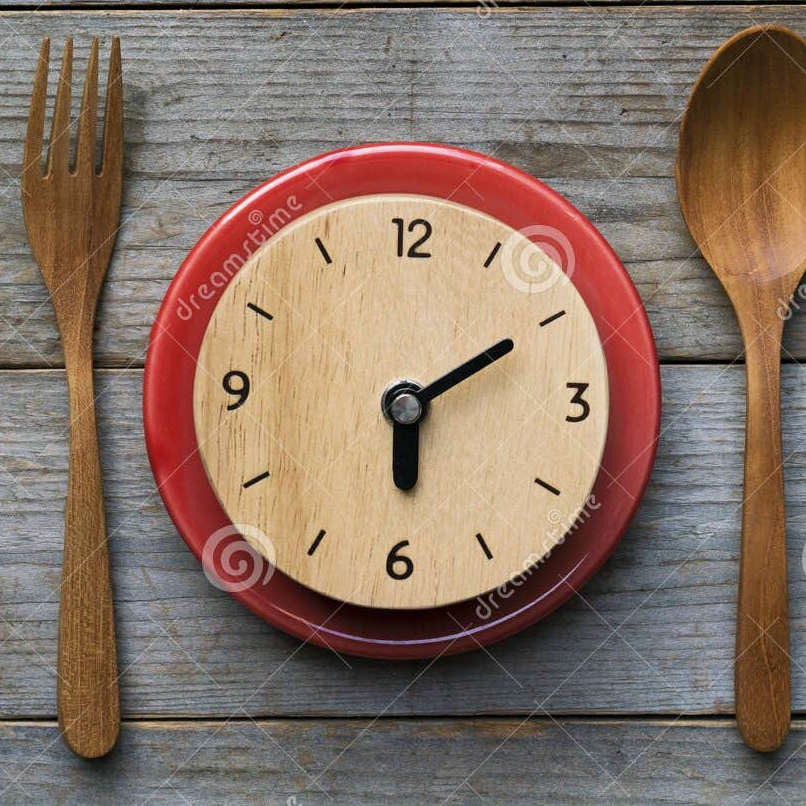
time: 6:10
